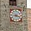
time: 3:43
